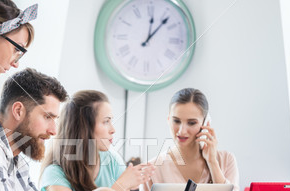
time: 12:06
